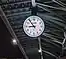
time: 8:53
